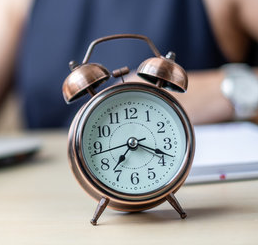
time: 7:18
